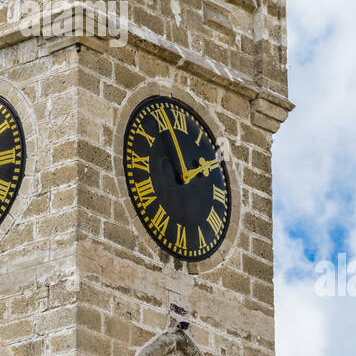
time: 1:56
